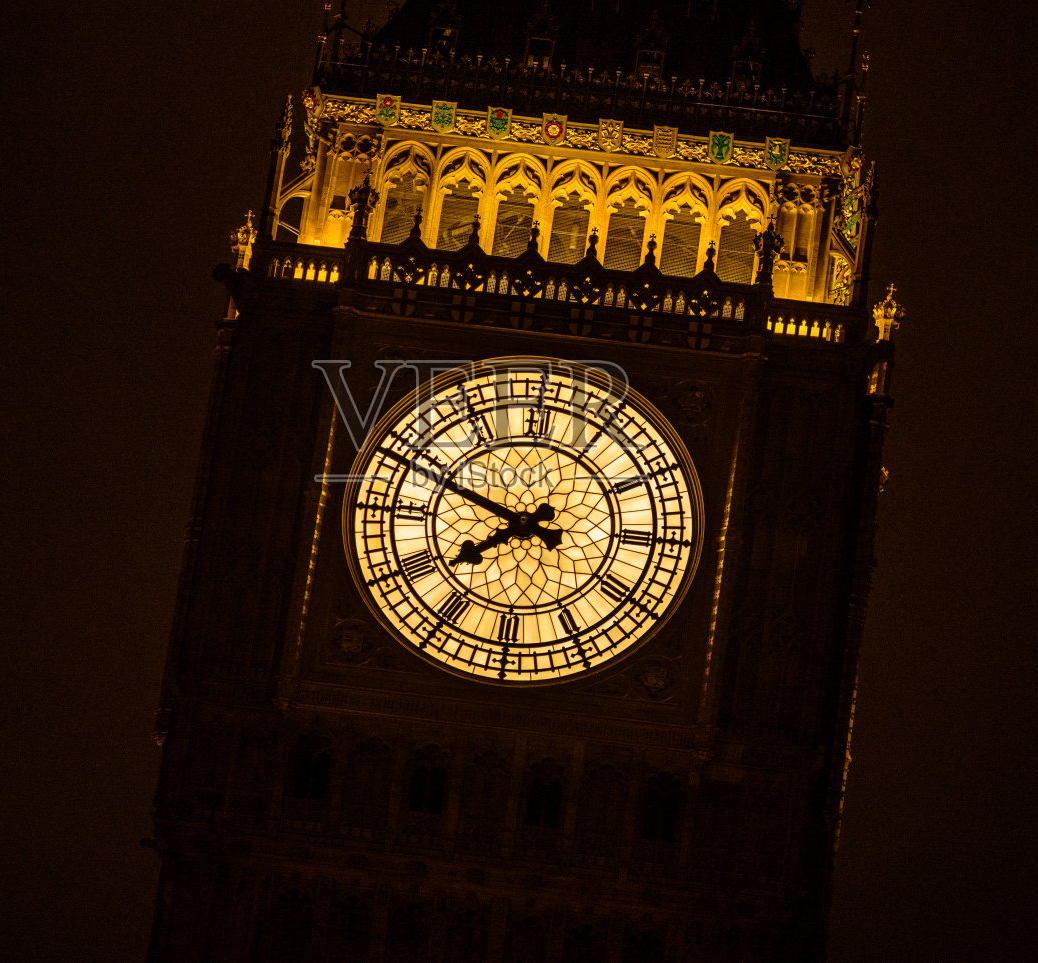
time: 7:48
